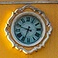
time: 6:48
